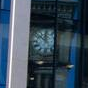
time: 11:51
